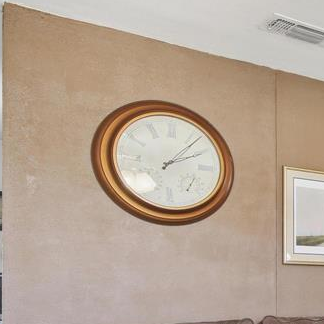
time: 2:07
